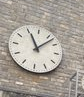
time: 11:07
